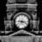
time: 9:17
